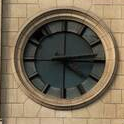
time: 4:13
